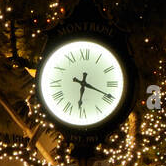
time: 6:18
